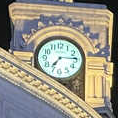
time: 7:14
